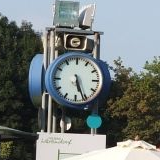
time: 5:26
